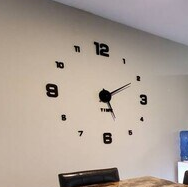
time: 5:10
